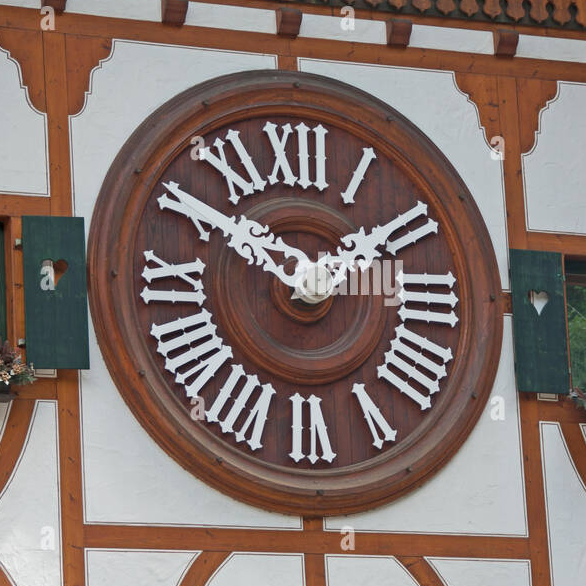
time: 1:50
